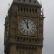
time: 11:55
